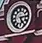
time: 5:14
